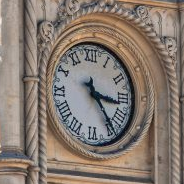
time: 3:24
